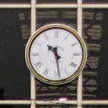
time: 10:28
